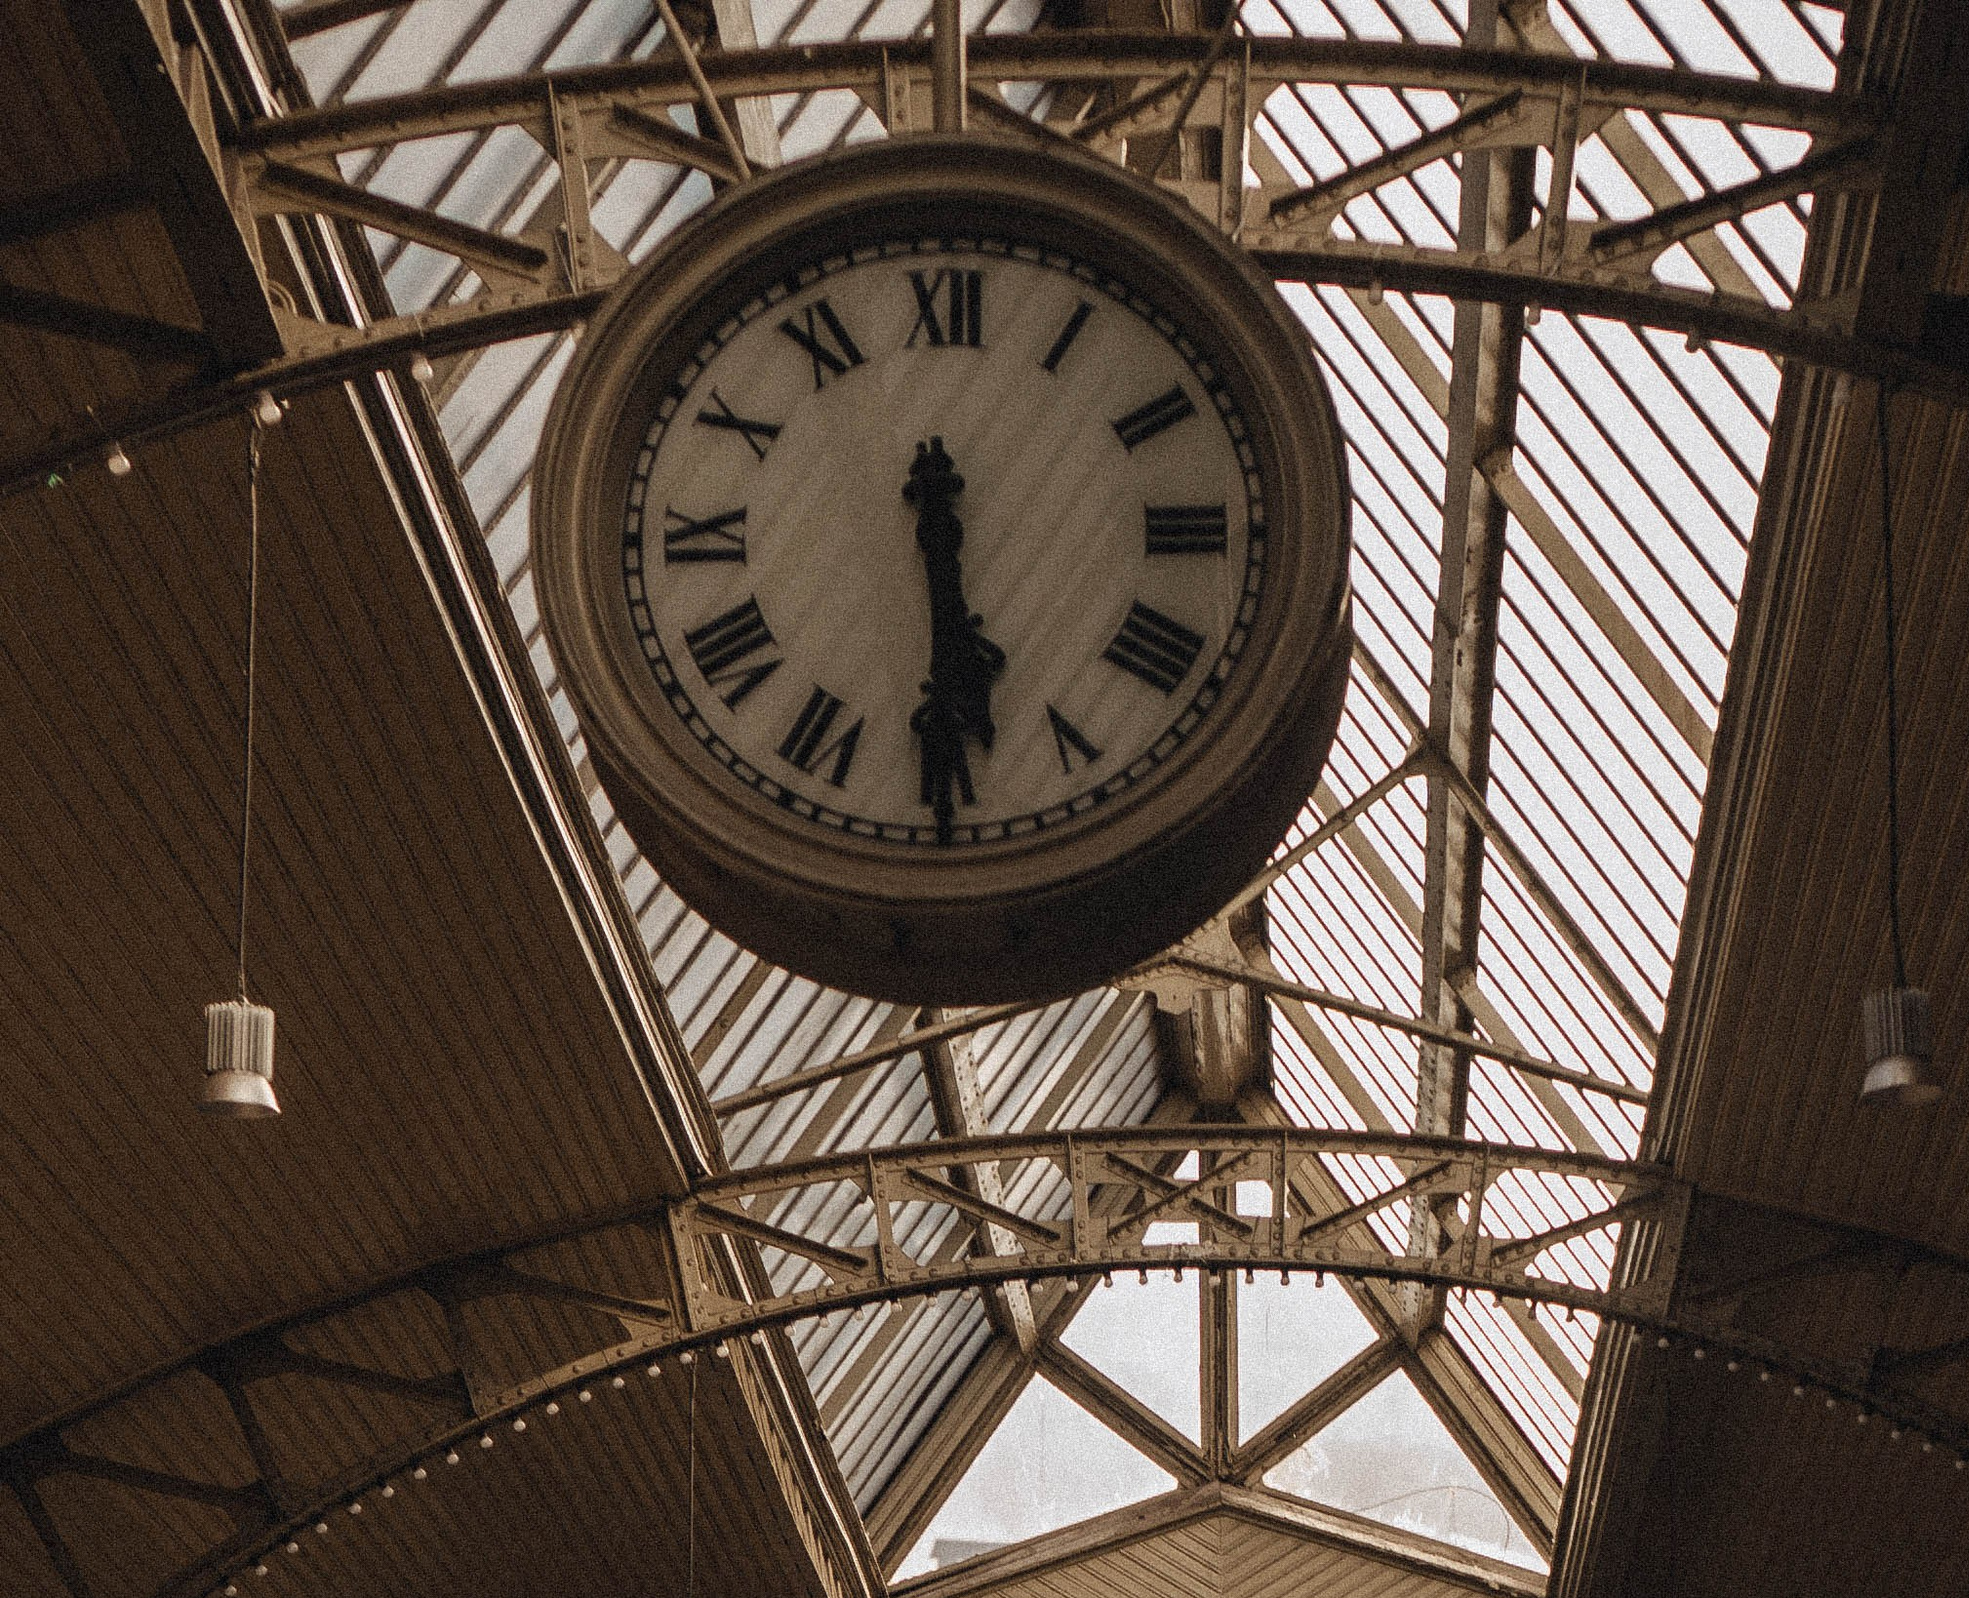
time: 5:29
